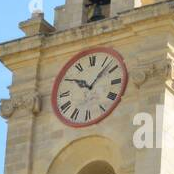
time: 10:07
